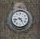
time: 4:42
